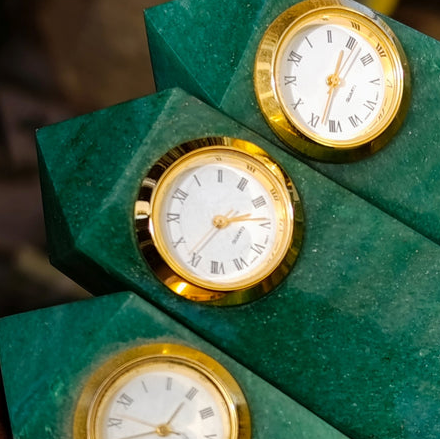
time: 2:13
